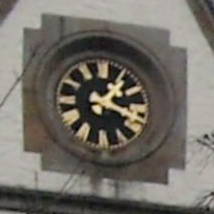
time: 1:18
